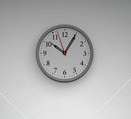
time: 10:05
